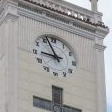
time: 8:56
